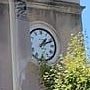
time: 1:11
